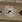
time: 7:48
